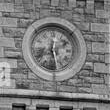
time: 1:28
